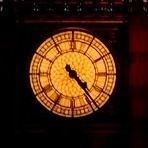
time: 4:23
